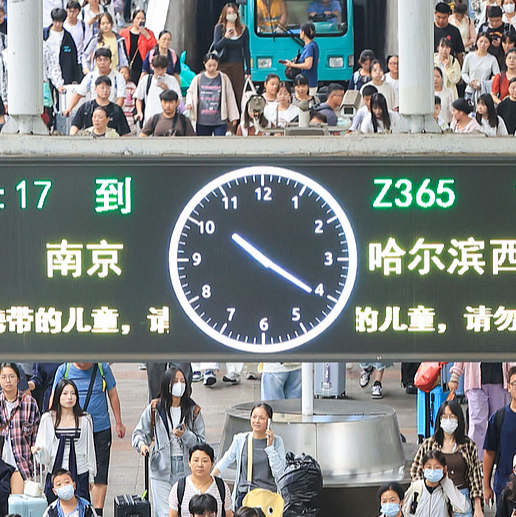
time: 10:20
